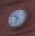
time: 10:32
